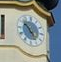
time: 4:52
